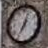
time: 7:03
